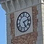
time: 5:12
